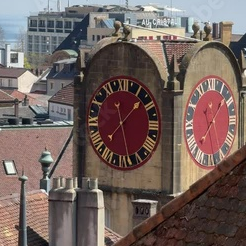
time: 1:28
